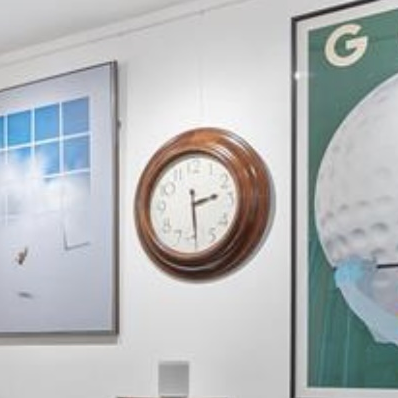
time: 2:29
